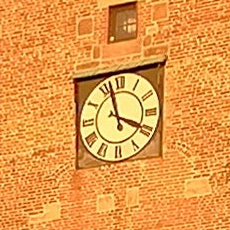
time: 3:57
